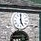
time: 4:59
